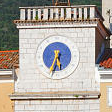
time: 5:33
